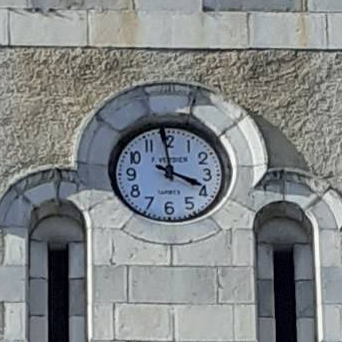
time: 3:58
